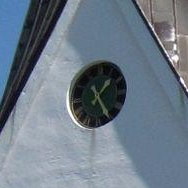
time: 1:24
